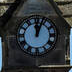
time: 12:03
